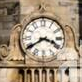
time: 3:39
